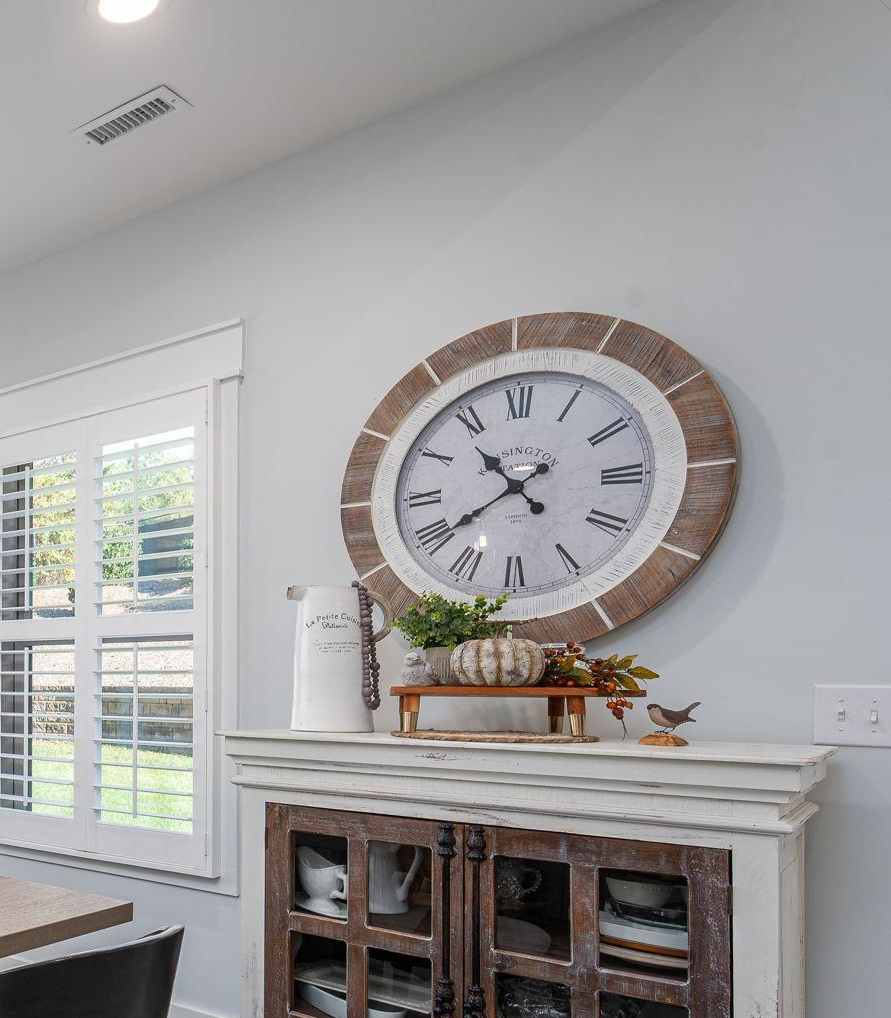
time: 10:39
